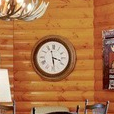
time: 3:28
